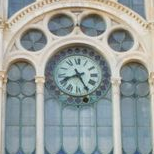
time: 8:25
